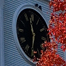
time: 11:32
